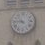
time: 10:45
